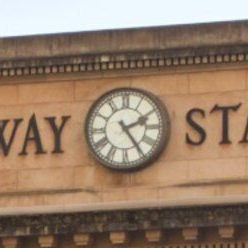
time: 2:24
